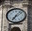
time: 7:08
